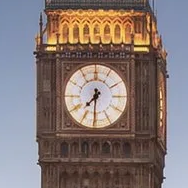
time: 7:30
